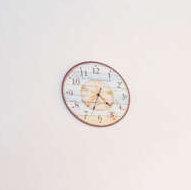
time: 4:33
